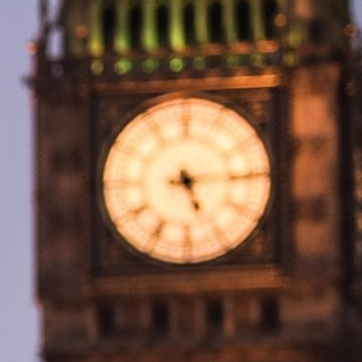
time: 5:14
